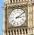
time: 3:09
